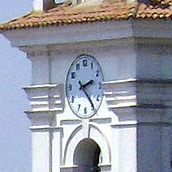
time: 2:23
